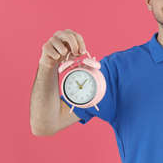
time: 11:07
